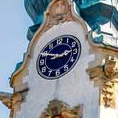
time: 2:48
